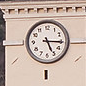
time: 5:15
